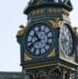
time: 10:41
